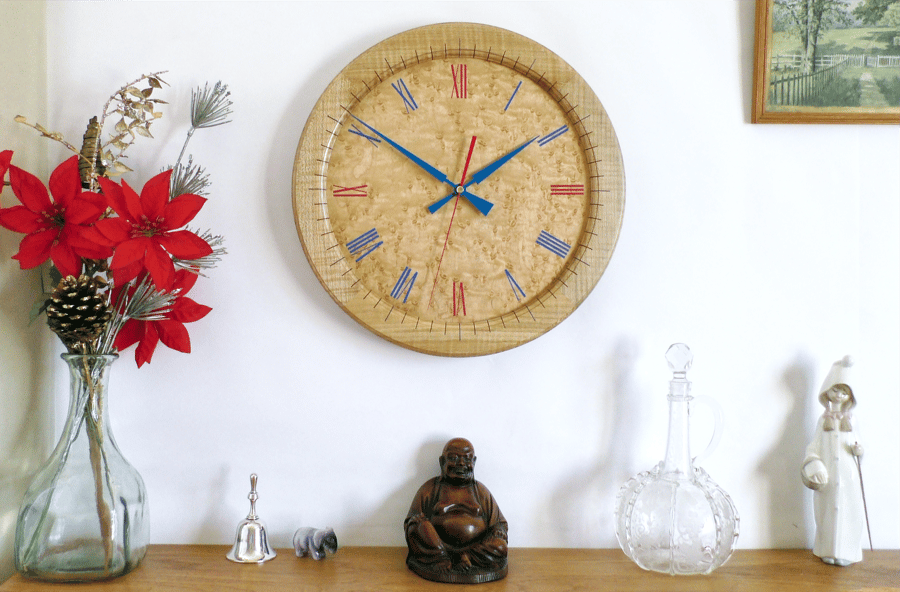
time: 1:50
